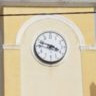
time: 3:47
